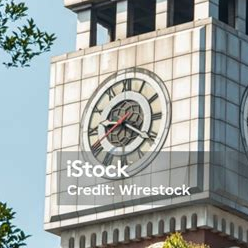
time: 9:20
